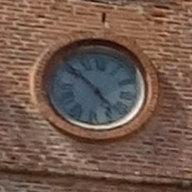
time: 4:52
